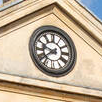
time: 9:38
